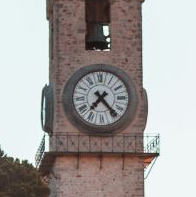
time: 7:23
